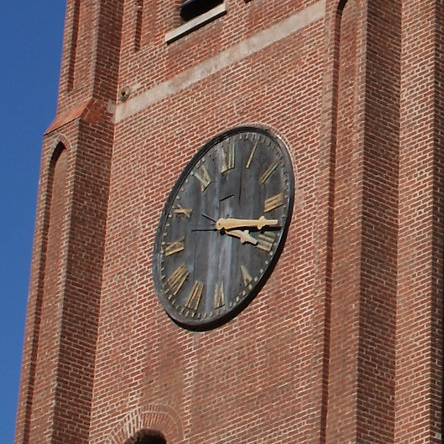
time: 3:18
